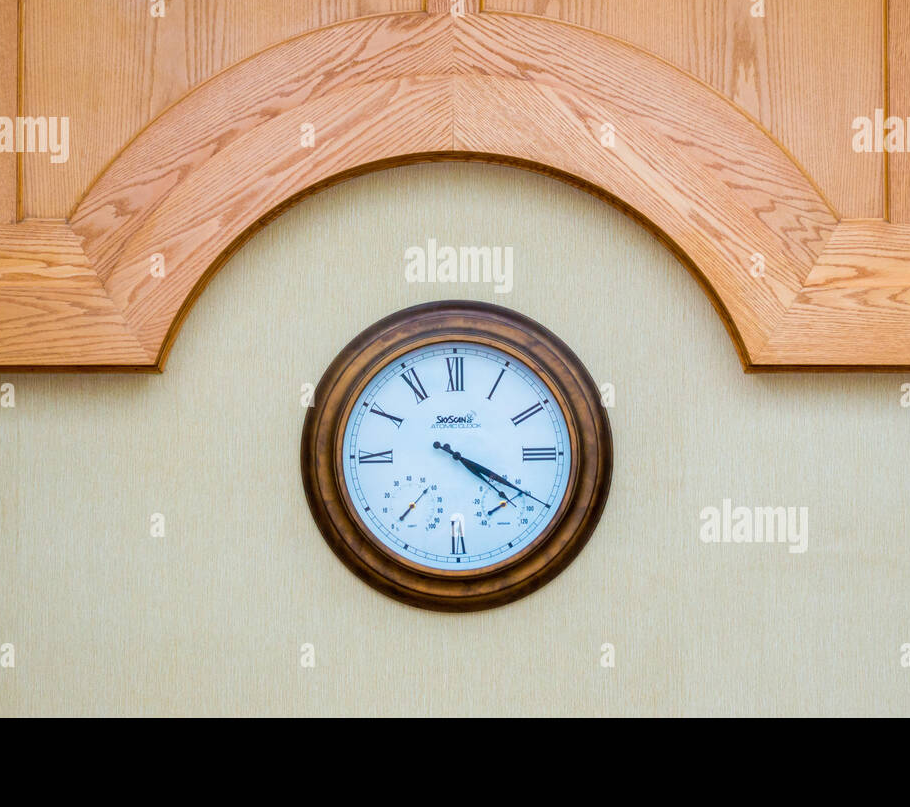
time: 4:19
